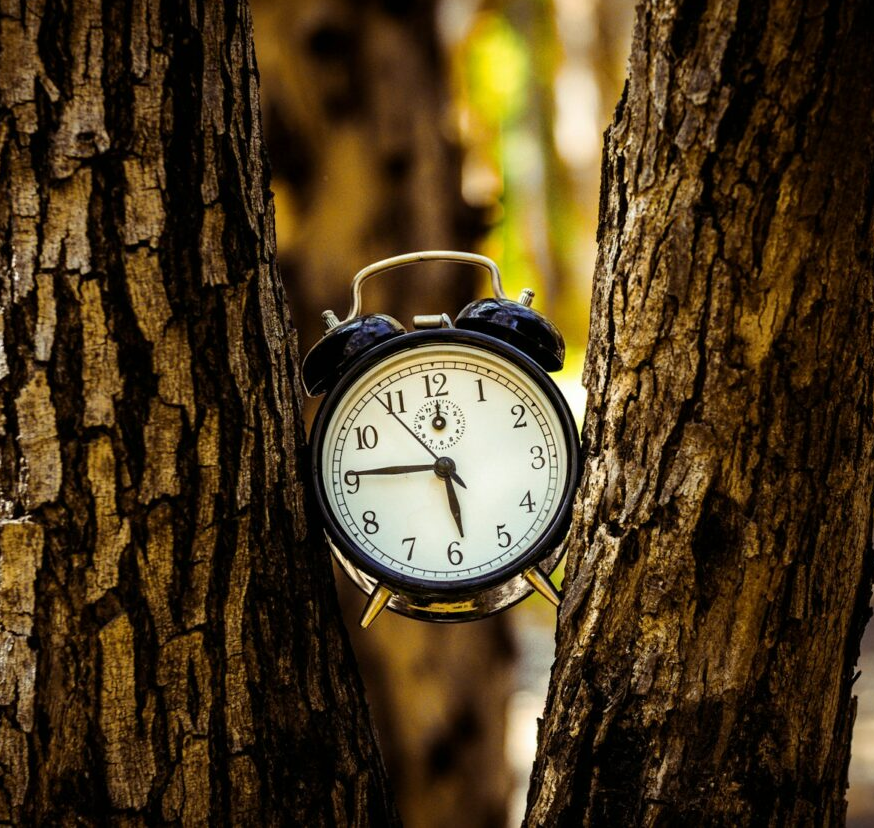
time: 5:45
